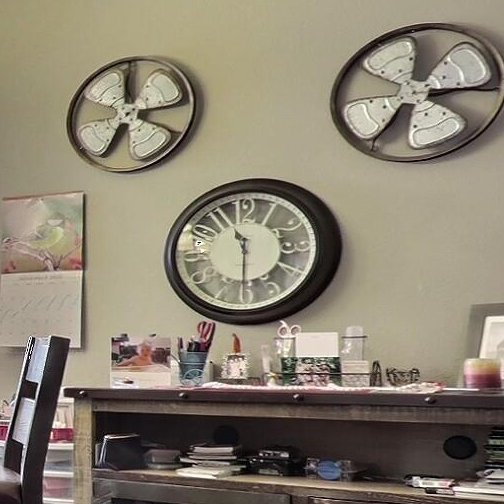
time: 11:30
